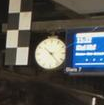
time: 10:23
